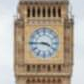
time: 3:45
